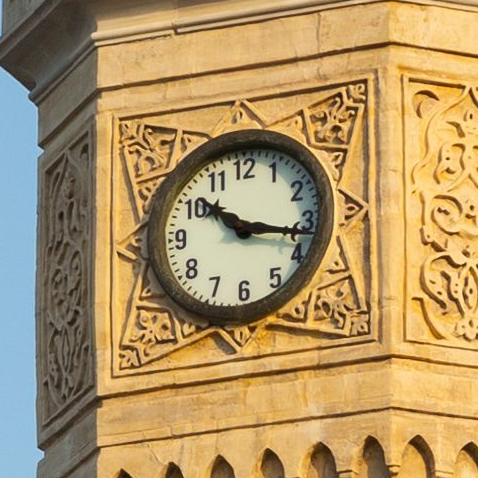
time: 10:17
